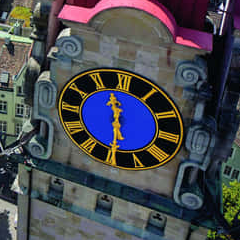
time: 11:29
